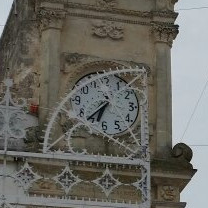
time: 6:36
